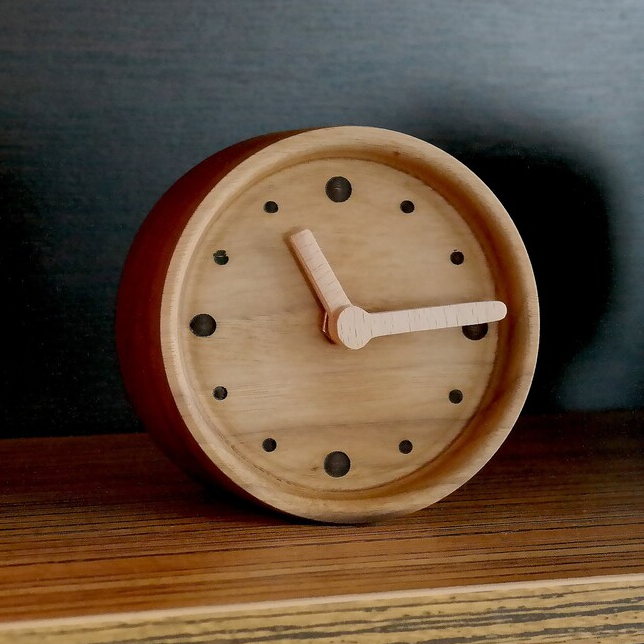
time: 11:14
